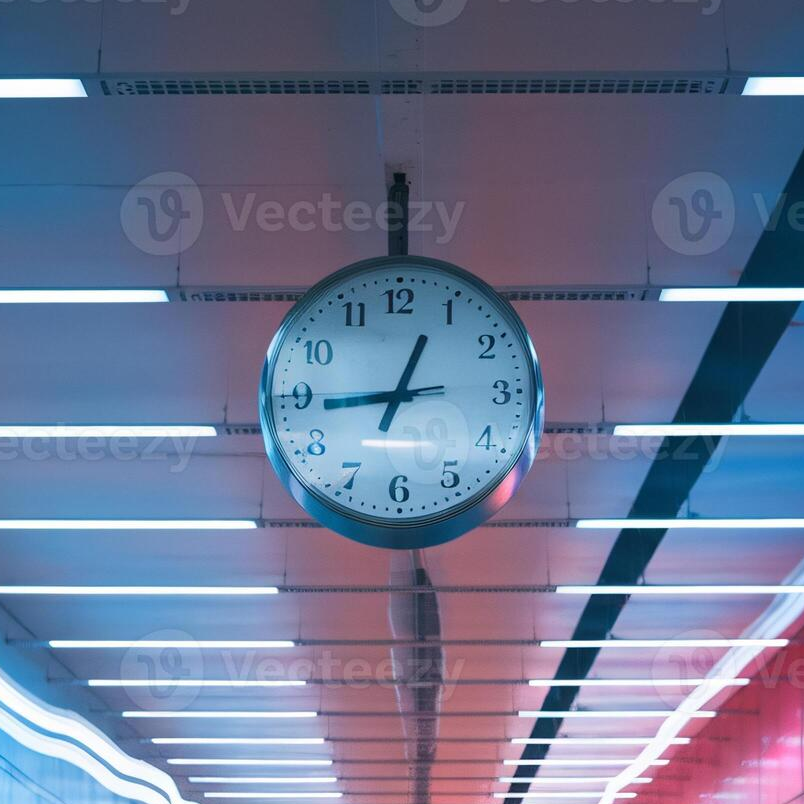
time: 12:44
